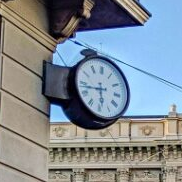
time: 5:43
